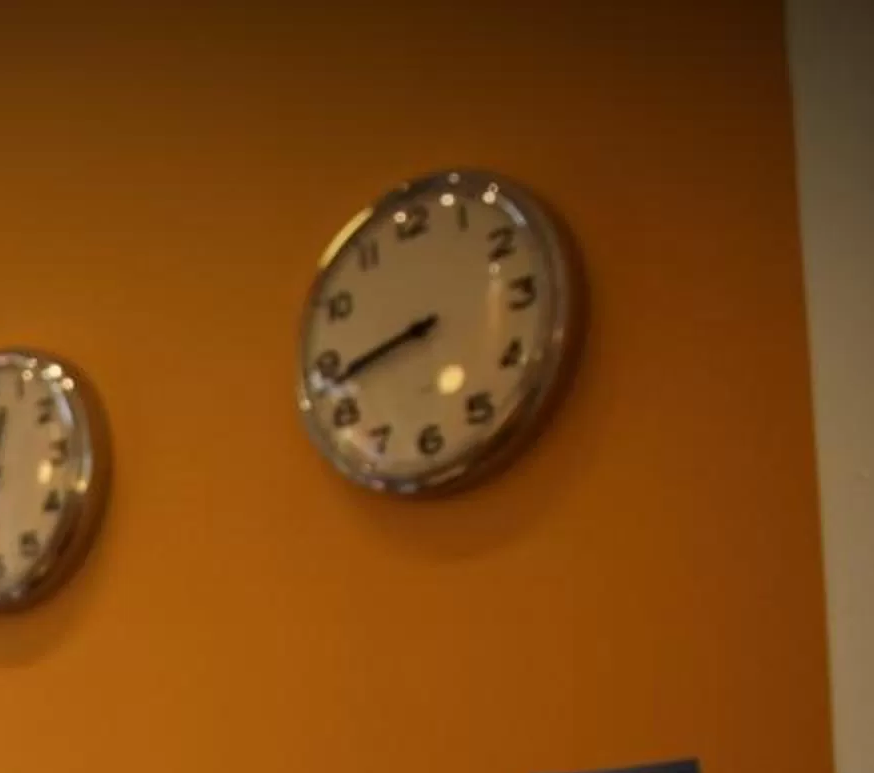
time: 8:43
